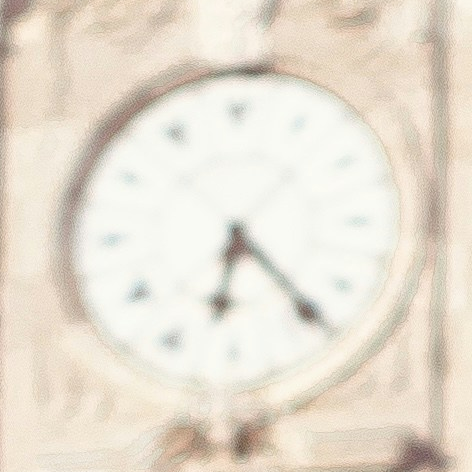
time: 6:23
